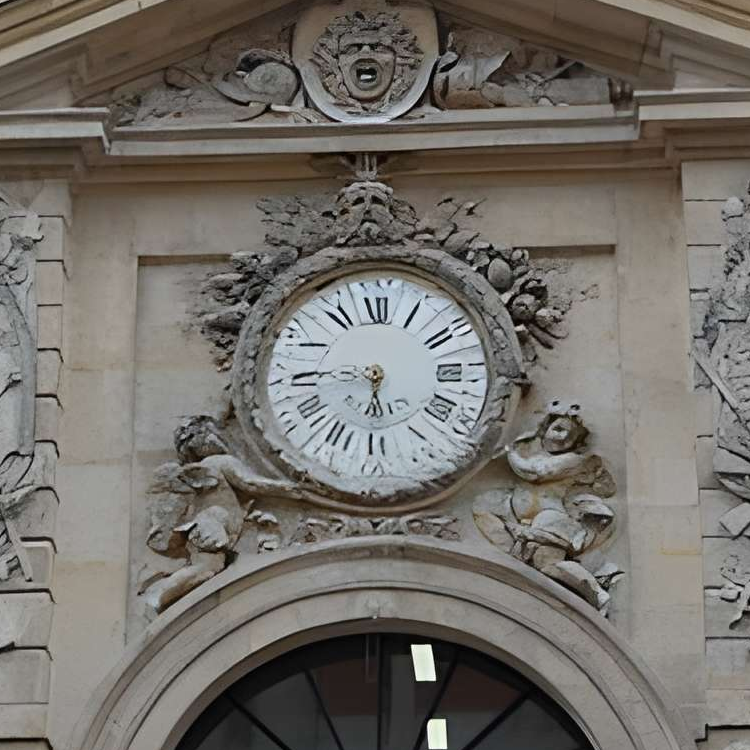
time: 5:45
